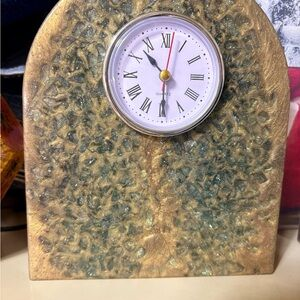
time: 10:30
